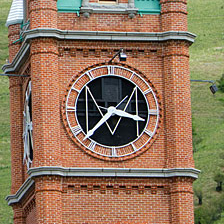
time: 3:37
